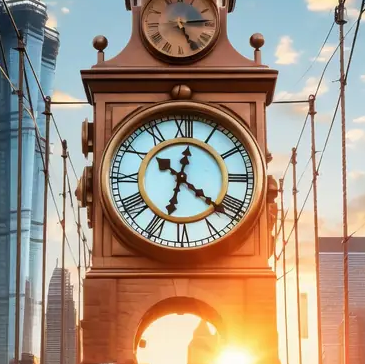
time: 12:21
